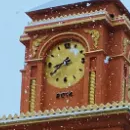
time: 8:38
